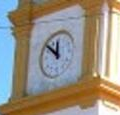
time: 11:51
